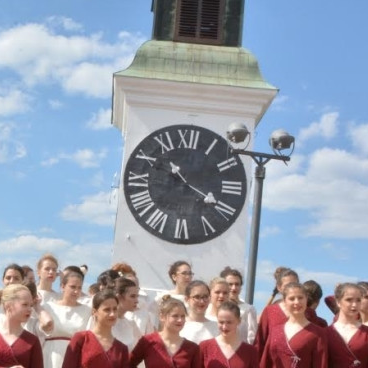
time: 10:19
